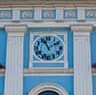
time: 11:09
